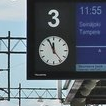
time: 11:55
